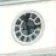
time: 5:14
